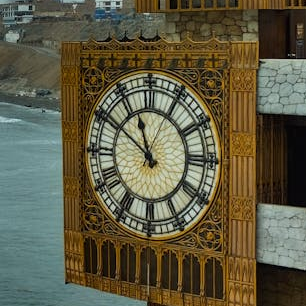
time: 11:50
